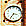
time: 3:35
